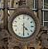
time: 4:30
